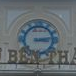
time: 3:13
